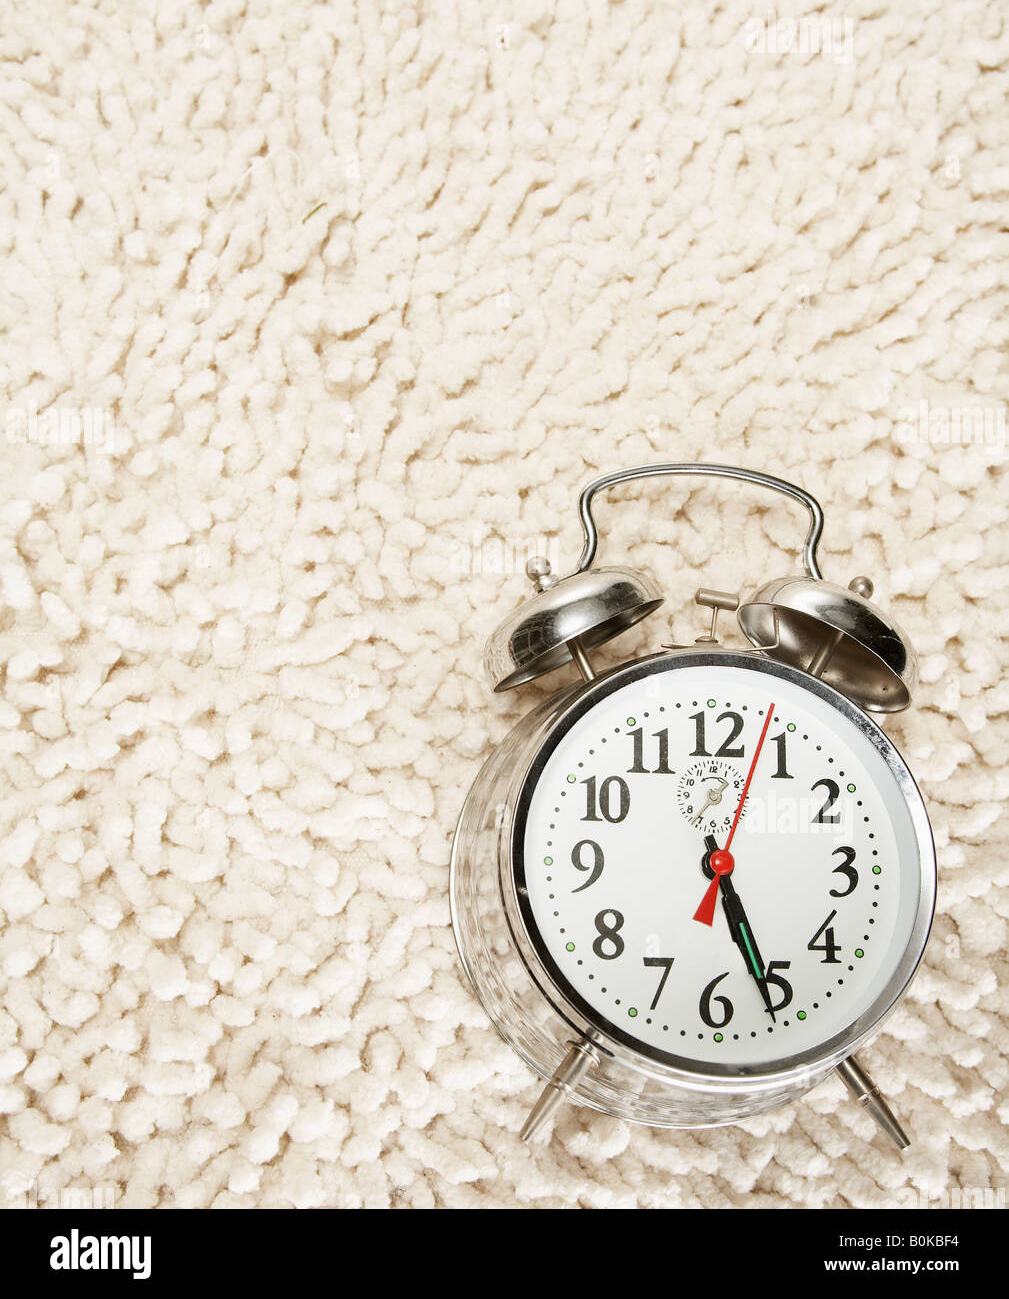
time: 5:26
